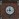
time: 11:43
